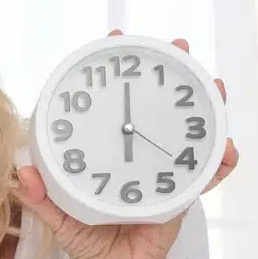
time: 6:00
